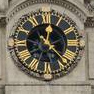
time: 12:23
